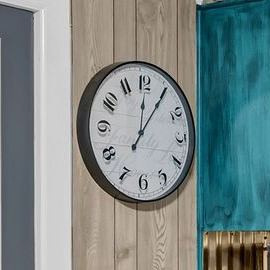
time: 12:05
